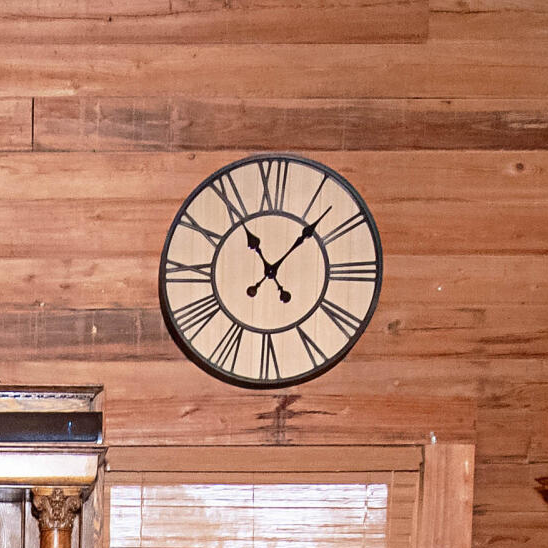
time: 11:07
